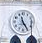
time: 11:24
